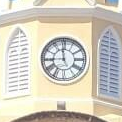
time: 11:44
